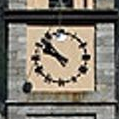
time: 9:52
